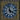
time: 3:58
